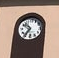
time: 10:36
